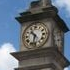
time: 10:32
